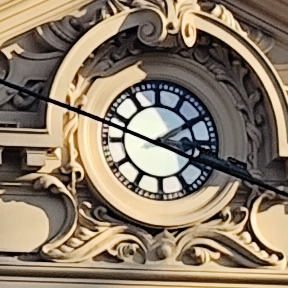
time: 3:47
